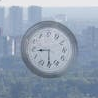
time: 8:29
